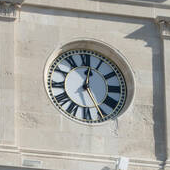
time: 12:24
